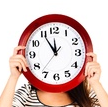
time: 11:54
